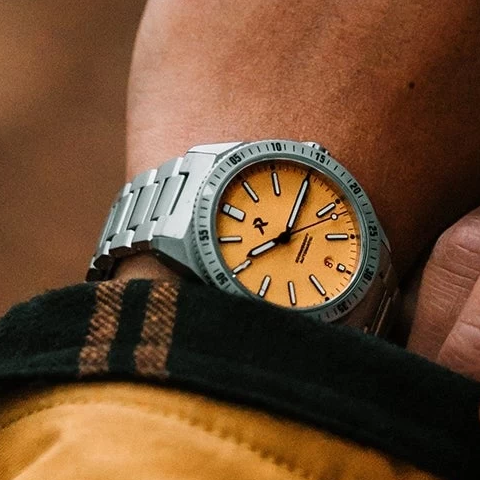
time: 8:04
